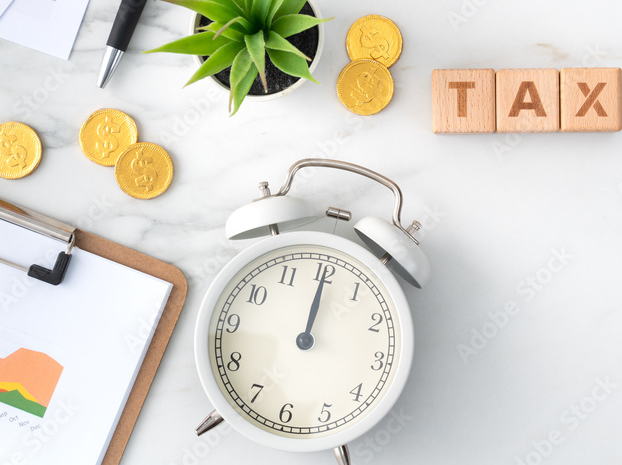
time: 12:00
